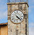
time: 4:22
